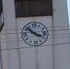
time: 3:52
